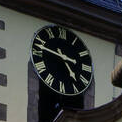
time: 4:47
